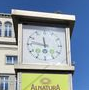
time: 11:46
